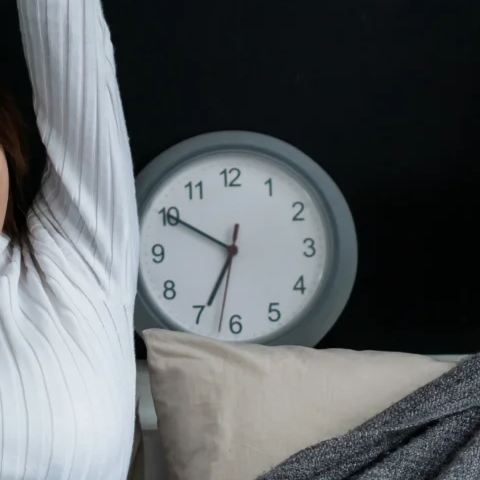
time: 6:50
